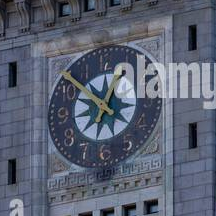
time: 12:52
